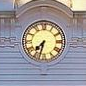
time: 7:32
